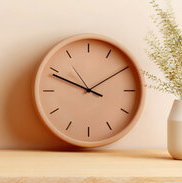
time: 9:48
